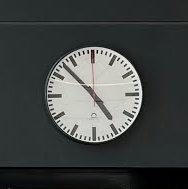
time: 4:52
